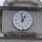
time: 12:58
